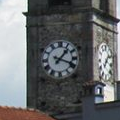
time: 1:18
